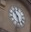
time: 10:28
